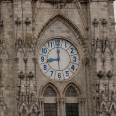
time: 9:00
